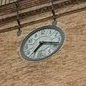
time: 7:17
